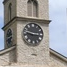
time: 9:14
